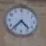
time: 4:36
